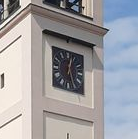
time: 12:26
